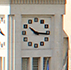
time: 10:15
